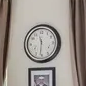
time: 11:31
